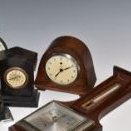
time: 7:11
